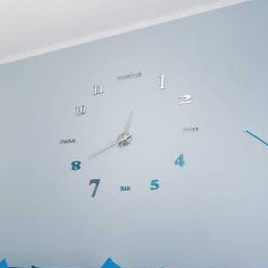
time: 12:40
